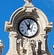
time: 11:02
